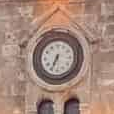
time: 6:34
